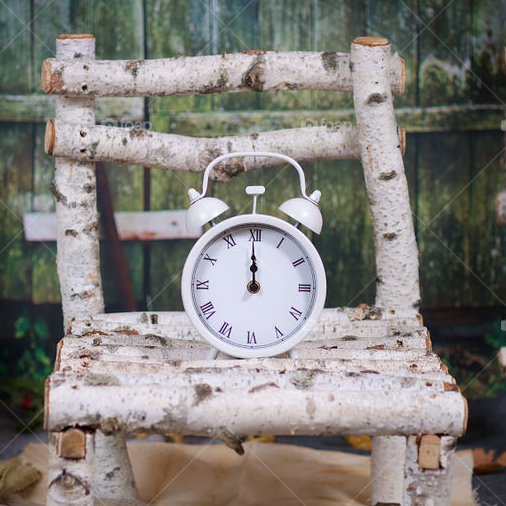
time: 11:59
